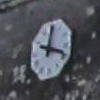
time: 12:18
